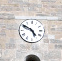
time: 4:50
